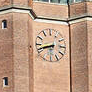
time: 8:42
